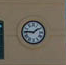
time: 1:46
